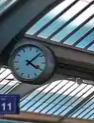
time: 4:07
